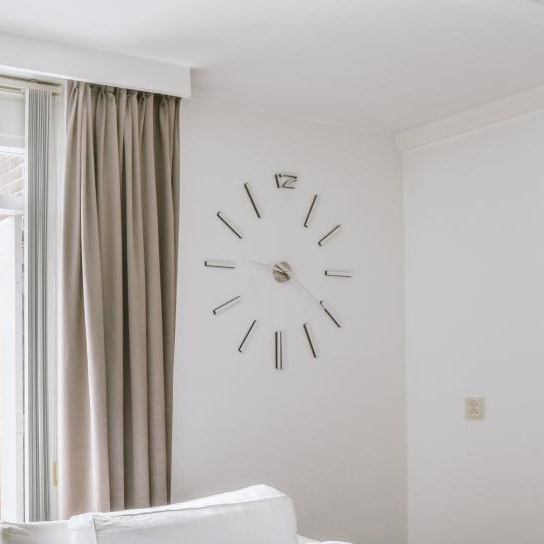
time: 9:20
